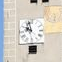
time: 9:57
